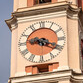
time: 9:19
